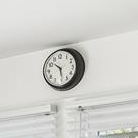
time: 10:28
